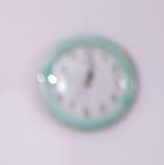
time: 7:00
